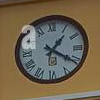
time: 1:20
